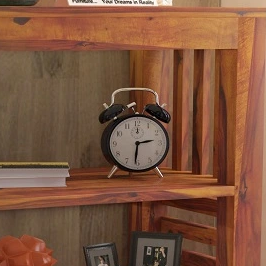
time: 2:31
